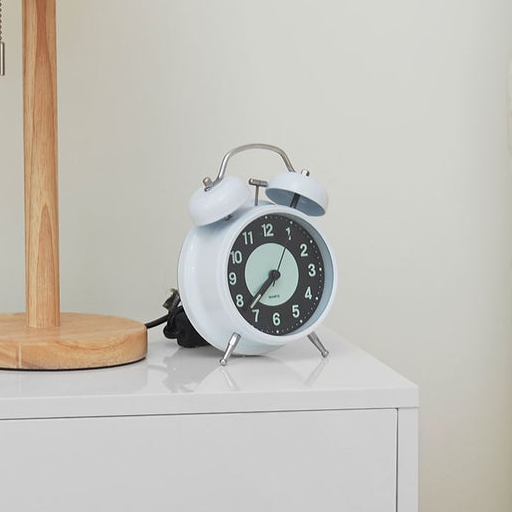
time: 7:37
